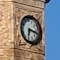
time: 6:17
